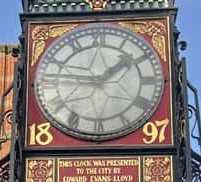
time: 1:46
